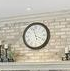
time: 3:57
